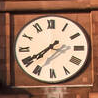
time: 7:39
